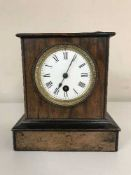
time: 7:04
